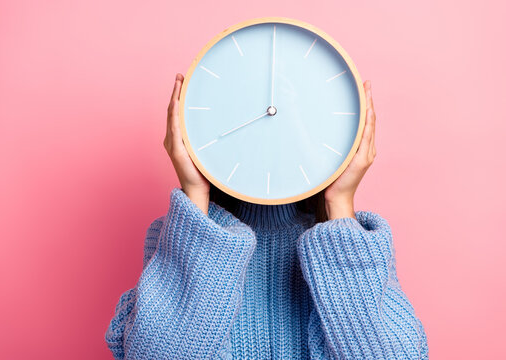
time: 8:00
